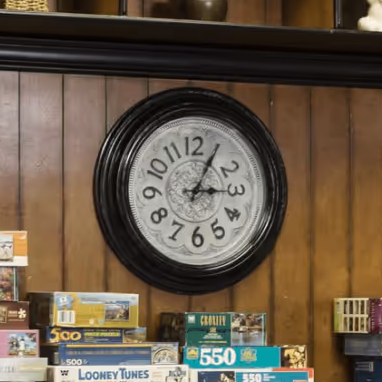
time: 3:04
